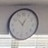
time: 12:52
